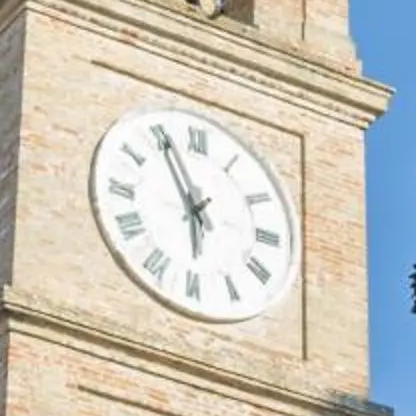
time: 5:55
